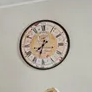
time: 7:32
